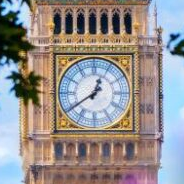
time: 12:39
